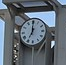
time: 7:00
